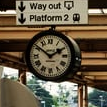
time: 1:51
